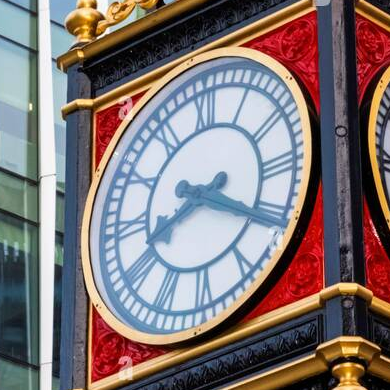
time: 8:20
